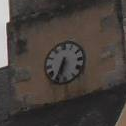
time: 6:34
